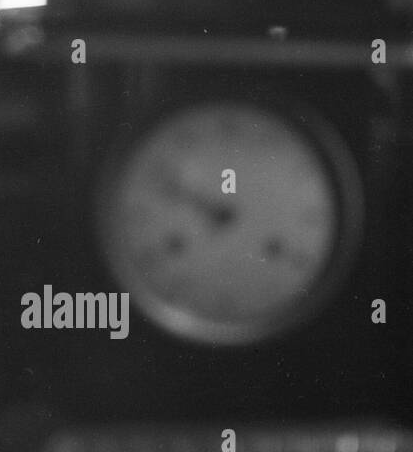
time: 7:49
